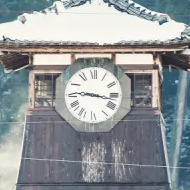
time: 9:16
